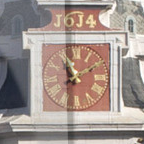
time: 11:09
